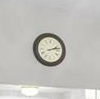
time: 2:12
